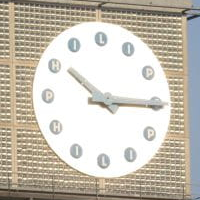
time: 10:15
